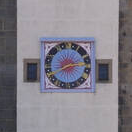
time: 2:40
